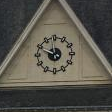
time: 11:48
